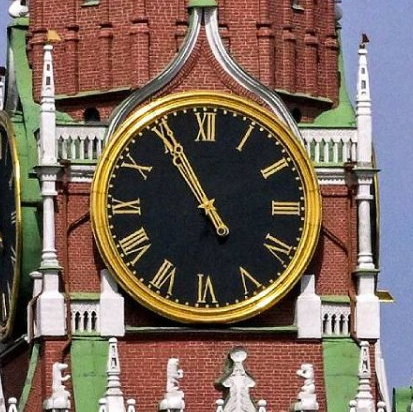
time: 4:55
